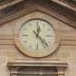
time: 12:23
